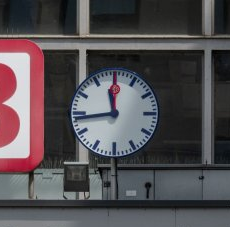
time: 11:43
